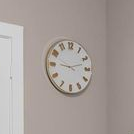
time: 9:12
